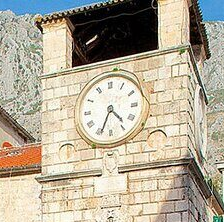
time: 4:34
